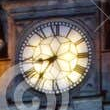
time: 8:36
